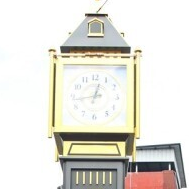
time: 12:43
